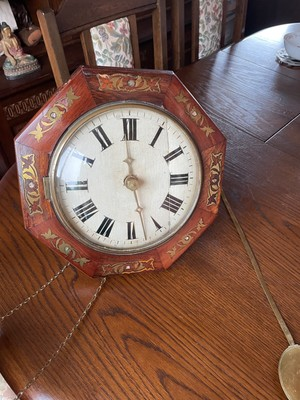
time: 11:59
